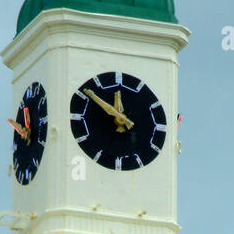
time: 11:51
